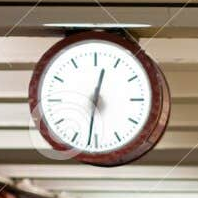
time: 12:31
